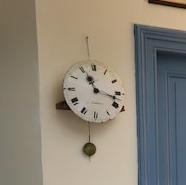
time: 11:17
